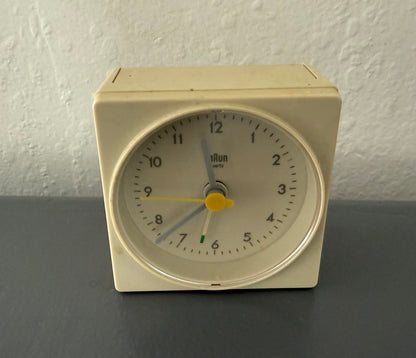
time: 11:38
